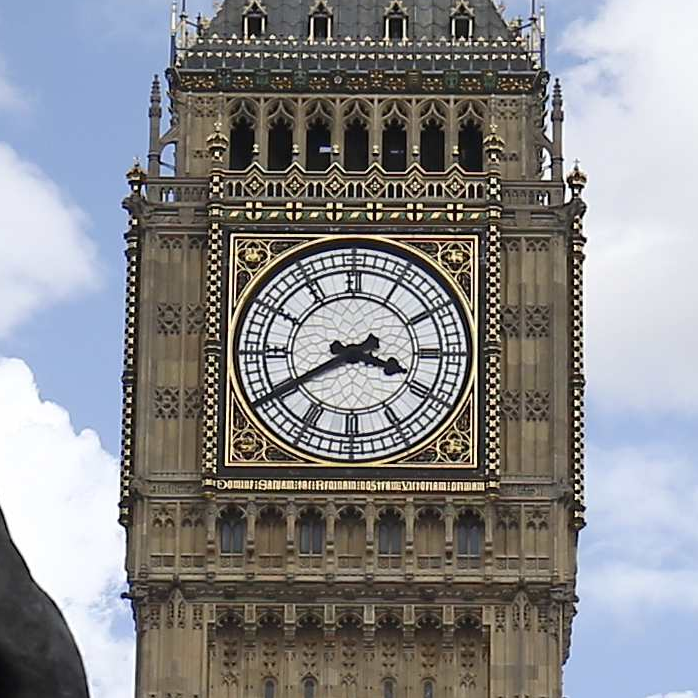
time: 3:40
